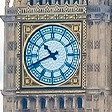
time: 10:41
